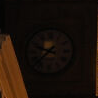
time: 9:37
